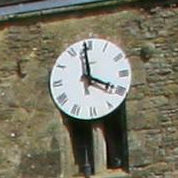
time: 3:59
